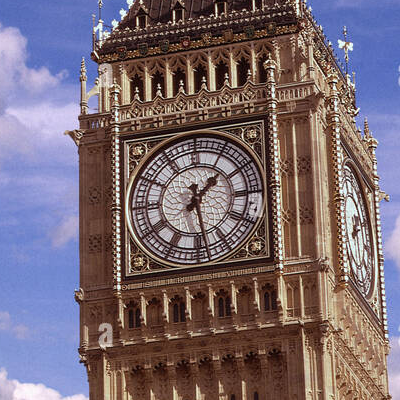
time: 1:28
